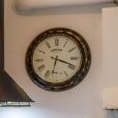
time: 6:18
